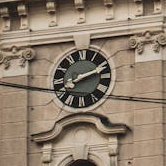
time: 2:11
